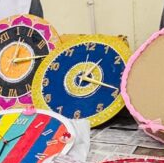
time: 1:18
